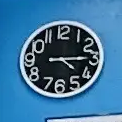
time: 4:14
